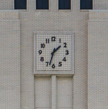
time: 1:33
